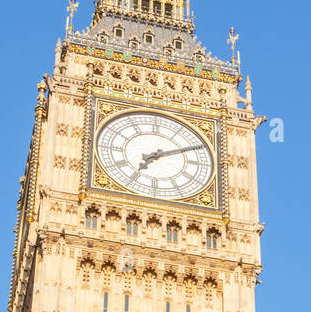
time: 7:10
